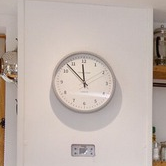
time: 11:52
